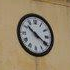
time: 10:20
